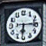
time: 6:14
